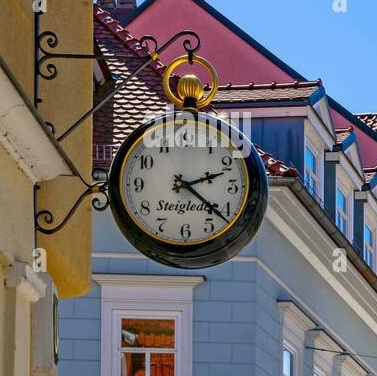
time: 2:21
